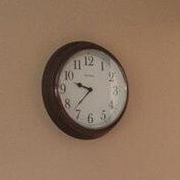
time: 9:37
